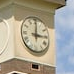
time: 3:01
